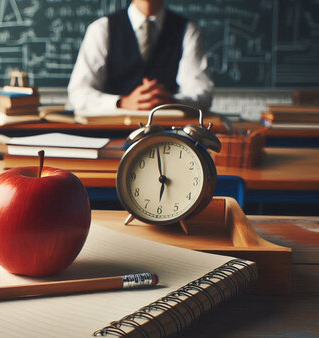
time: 5:58
